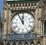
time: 11:55
